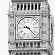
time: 9:22
